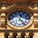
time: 12:23
